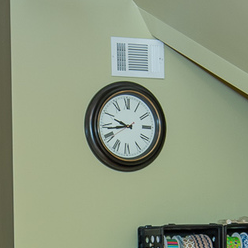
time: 9:43
